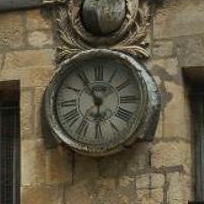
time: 5:54
